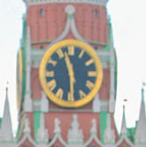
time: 11:29
